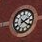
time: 2:21
